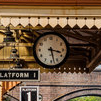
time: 3:27
